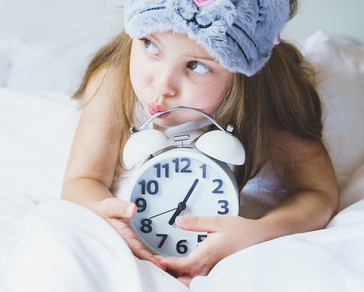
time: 7:05
